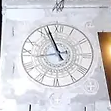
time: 8:56
